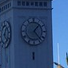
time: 1:23
